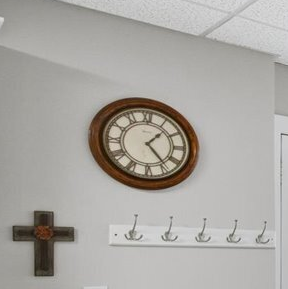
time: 1:23
